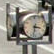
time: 3:32
